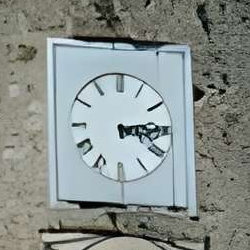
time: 3:14
